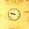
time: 9:47
